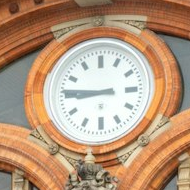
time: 8:45
